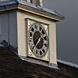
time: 1:37
